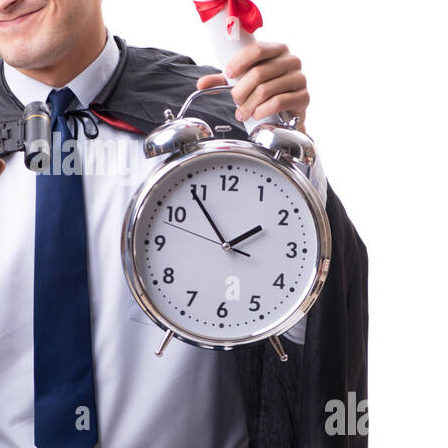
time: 1:54
